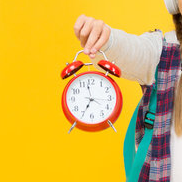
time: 6:58
